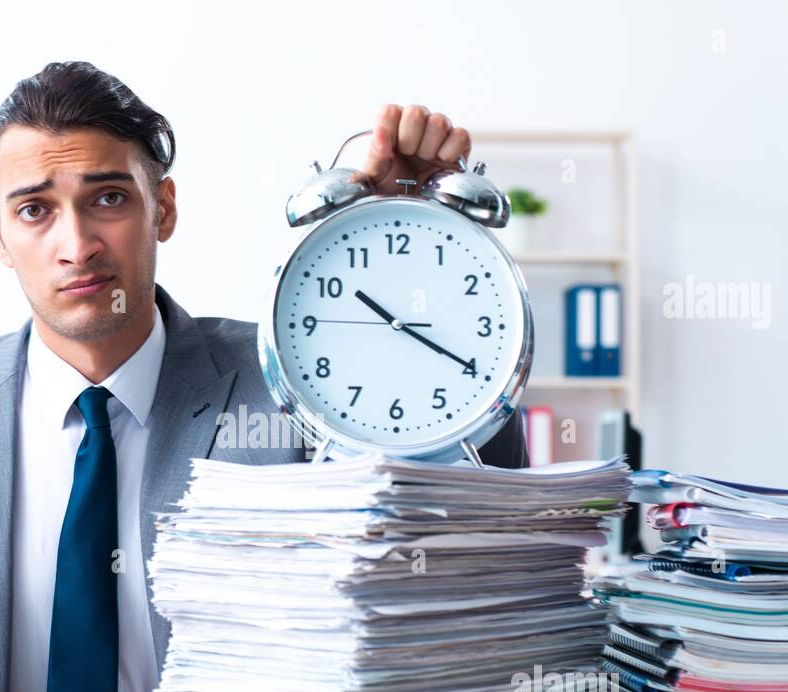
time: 10:19
